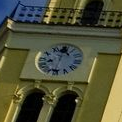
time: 12:32
